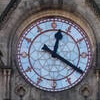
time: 12:20
